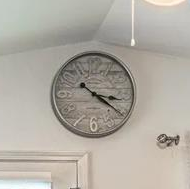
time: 3:20
